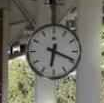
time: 6:18
